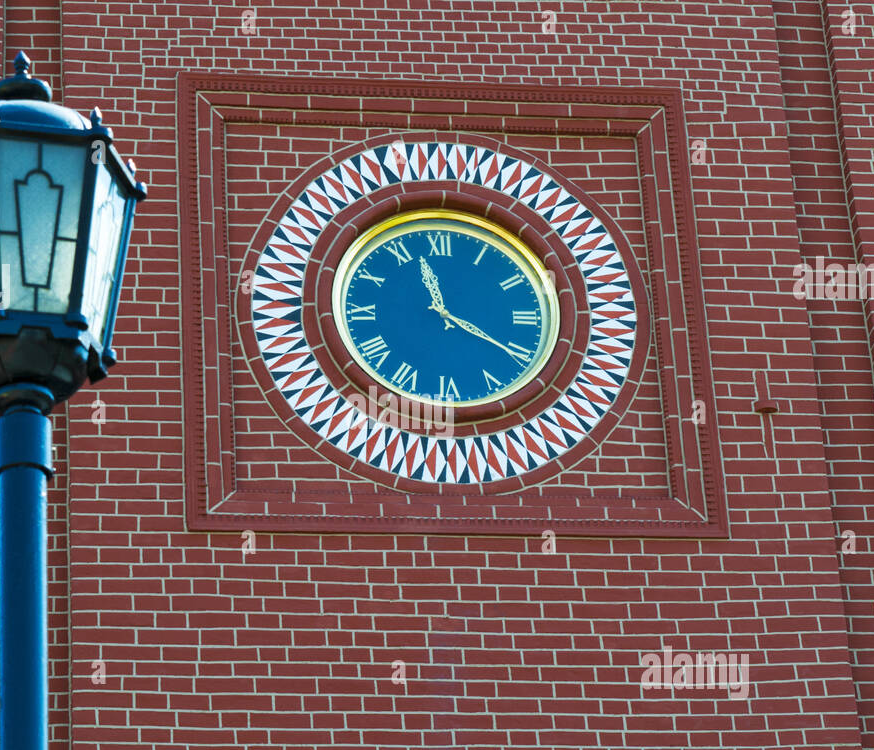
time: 11:20
